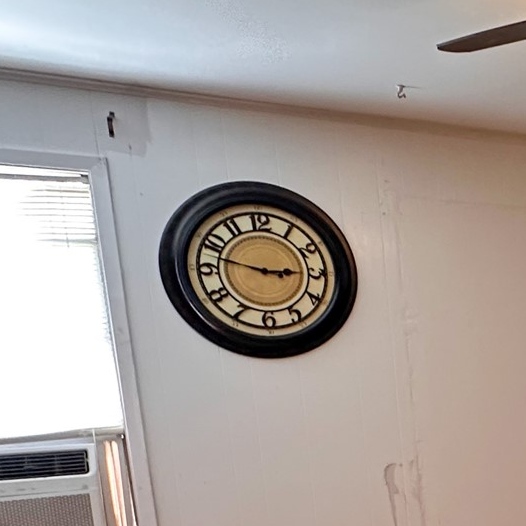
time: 2:47
